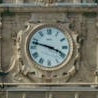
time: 3:47
